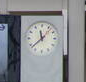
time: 11:38
